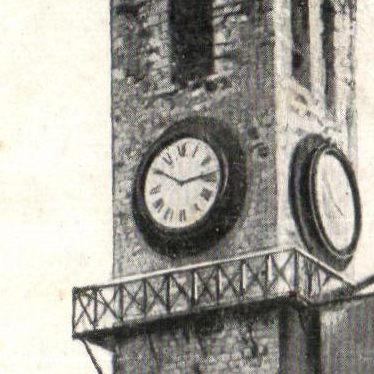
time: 2:50
